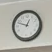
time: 12:48
